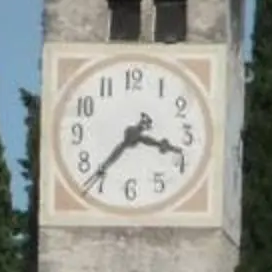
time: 3:36
